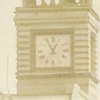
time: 12:55
